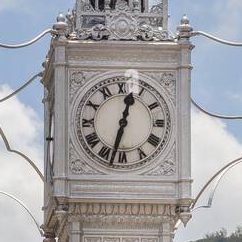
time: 12:32
